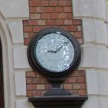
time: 9:08
